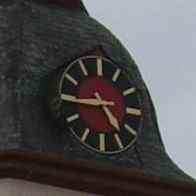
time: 4:44
